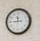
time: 11:44
